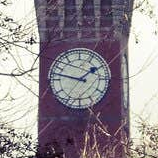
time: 1:47
